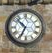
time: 10:34
